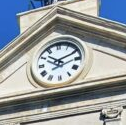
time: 10:10
